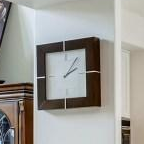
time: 2:06
